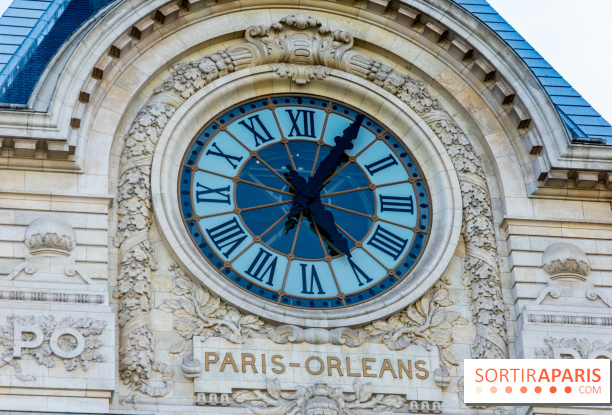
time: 5:05
